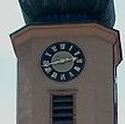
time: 2:42
